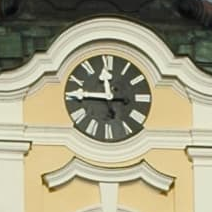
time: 11:46
